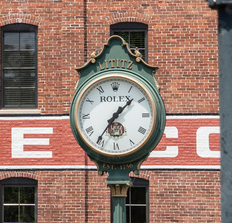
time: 1:36
